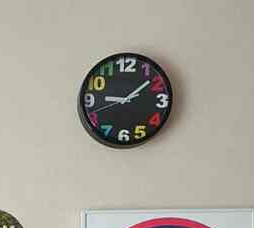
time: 9:08
